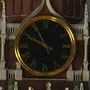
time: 9:55
